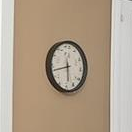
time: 5:42
